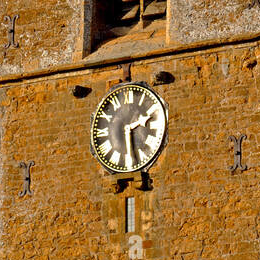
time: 2:27
